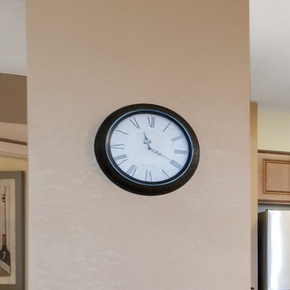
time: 11:19
